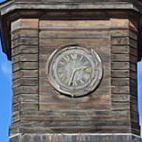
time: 2:32
